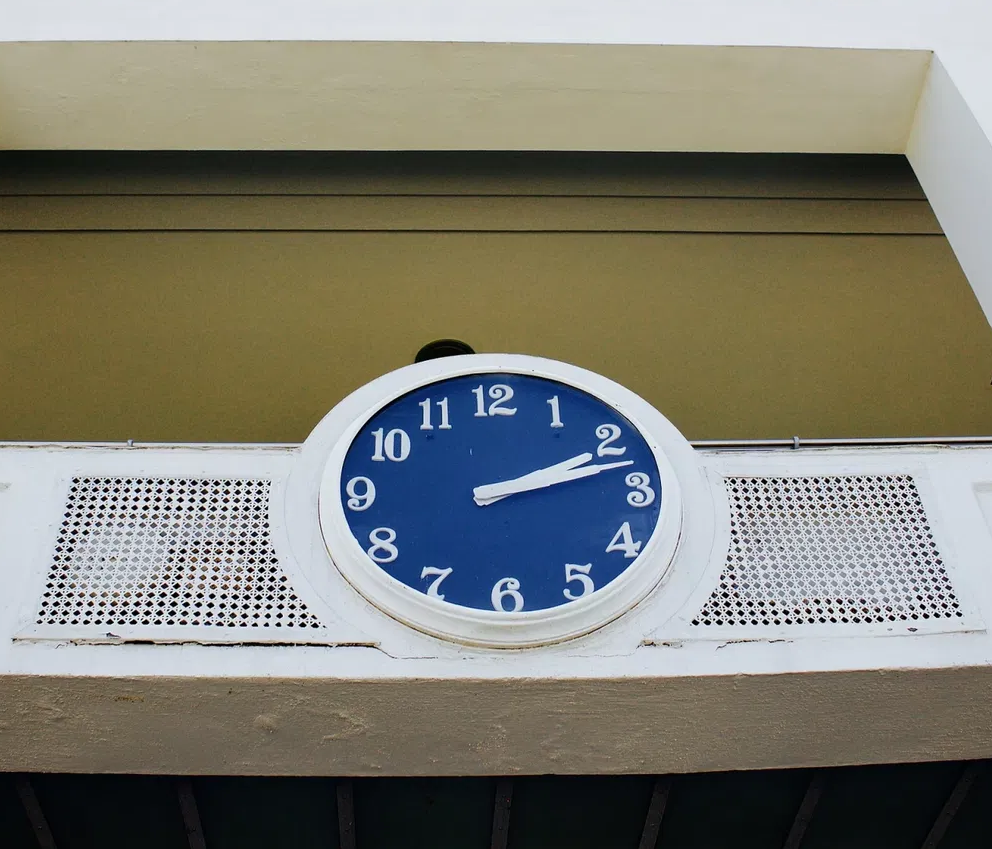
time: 2:12
